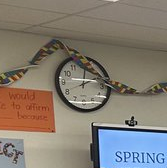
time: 2:01
